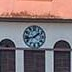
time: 1:42
